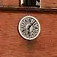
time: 6:07
